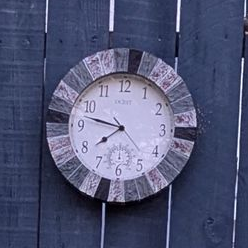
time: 7:47
